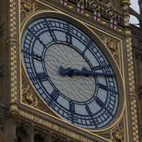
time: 2:11
